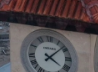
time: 4:08
